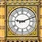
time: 9:11
